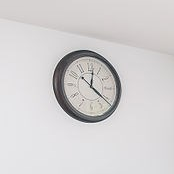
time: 12:21
